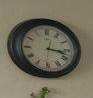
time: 3:17
